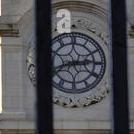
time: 2:42
